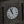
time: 10:56
